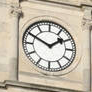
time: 1:49
